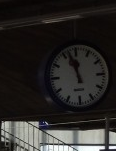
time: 11:56
